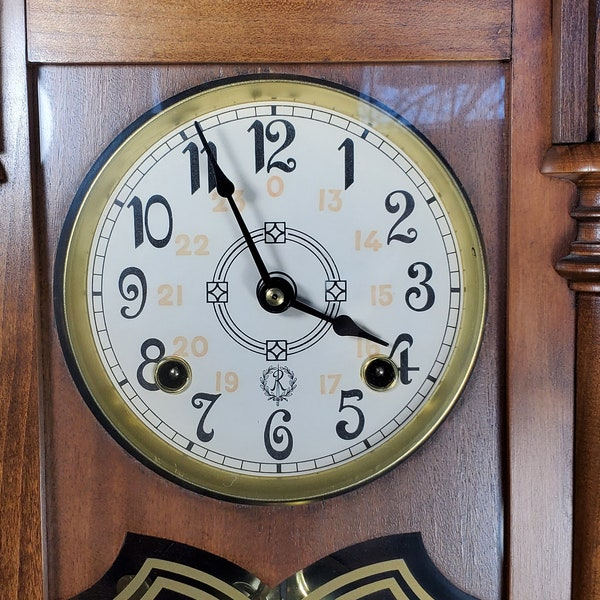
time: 3:55
